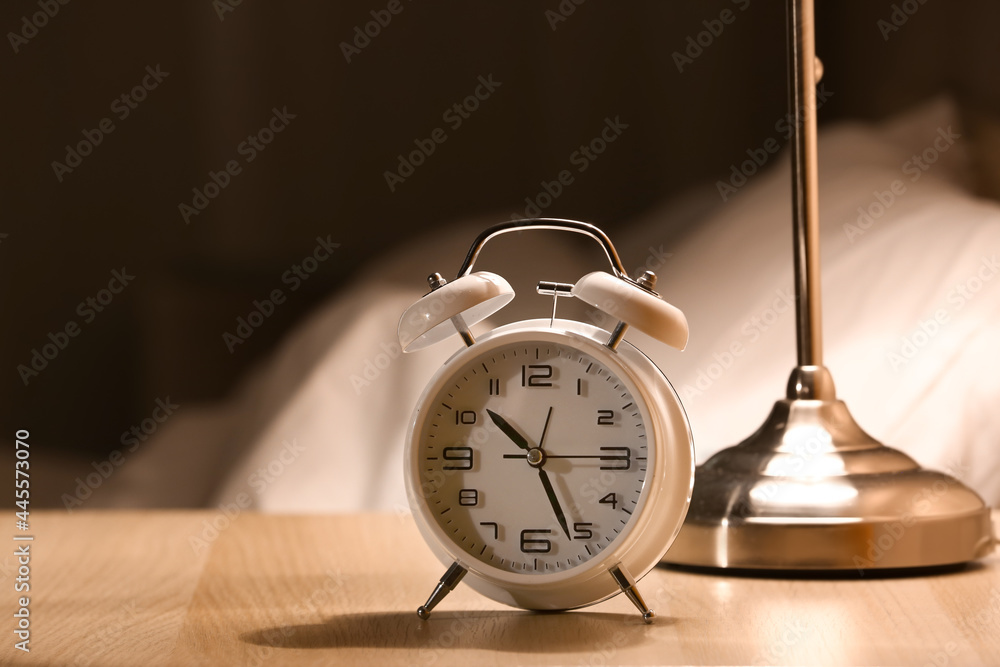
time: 10:26
